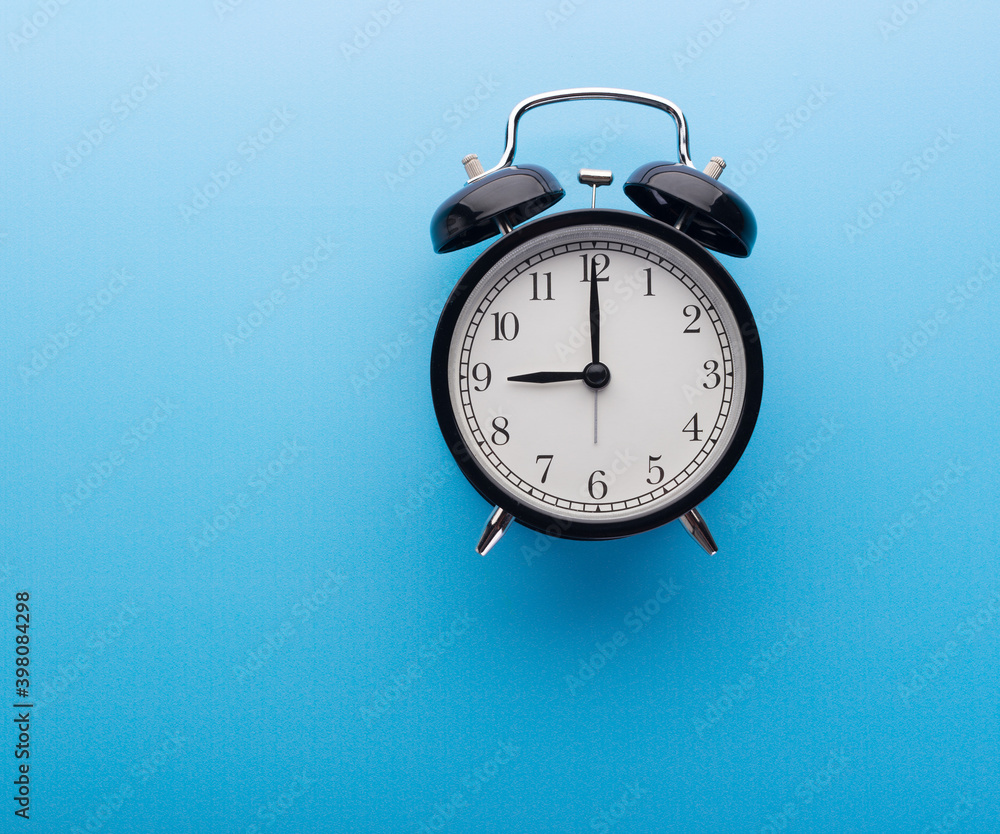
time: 9:00
